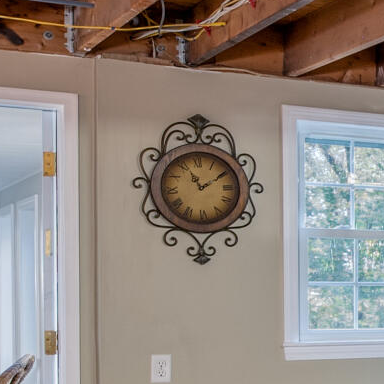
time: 11:10
